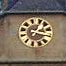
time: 1:16
